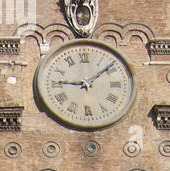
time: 9:08
